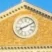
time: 8:10
